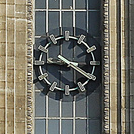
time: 9:20
